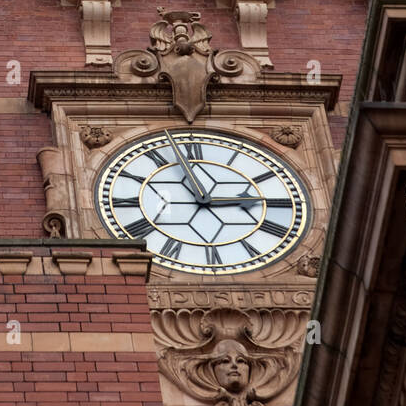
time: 2:56
